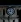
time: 11:42
